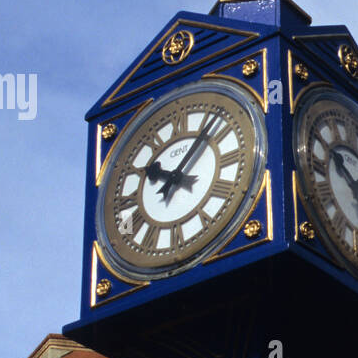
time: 10:07
